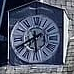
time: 5:40
